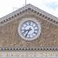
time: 8:35
